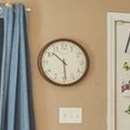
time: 10:29
